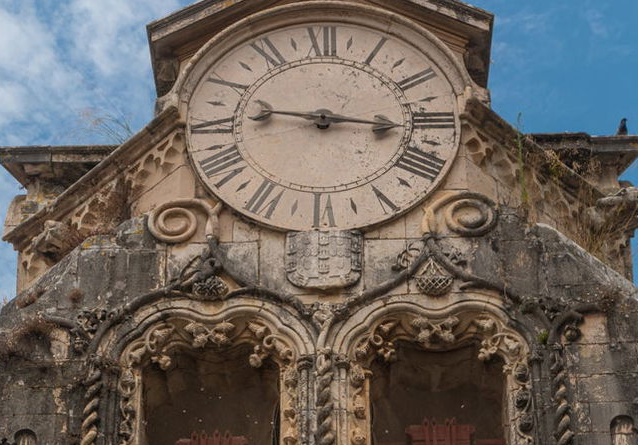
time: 9:16
